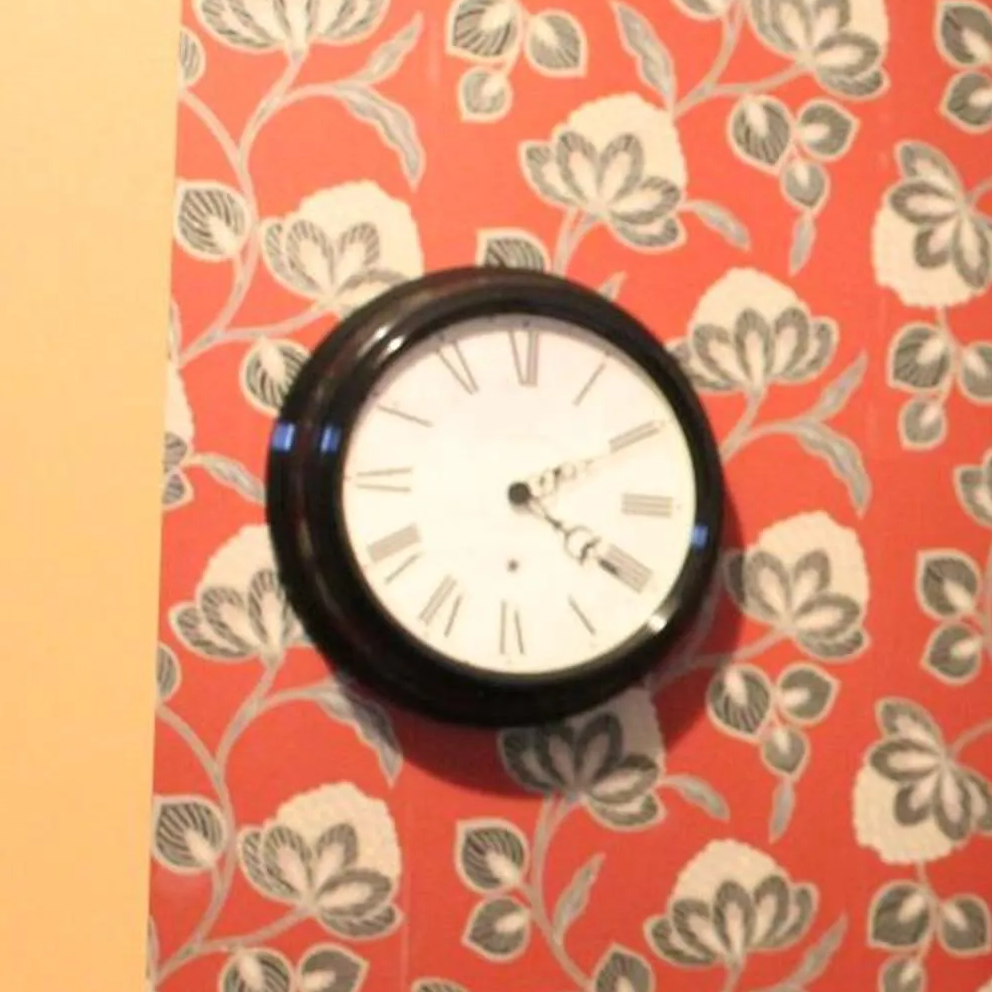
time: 4:10
